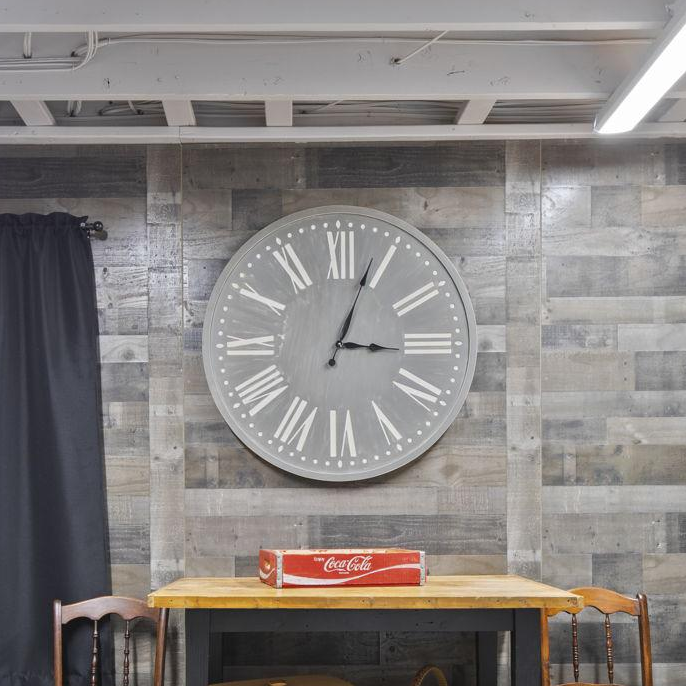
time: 3:03
